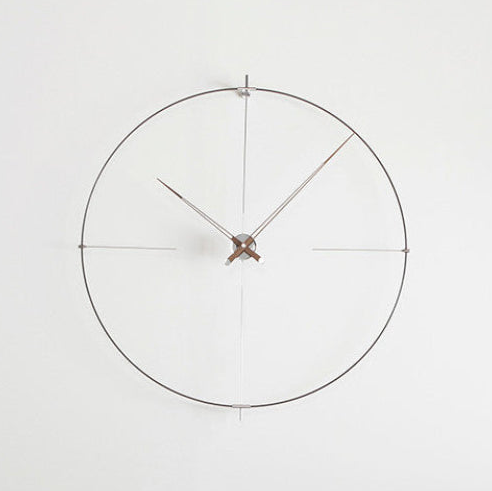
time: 10:07
